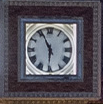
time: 5:55
